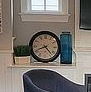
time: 8:22
